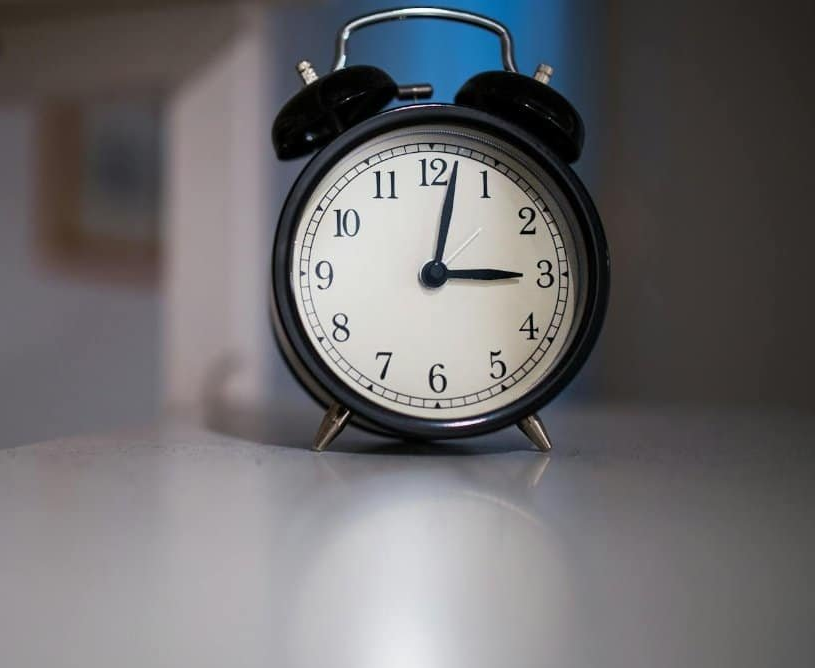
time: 3:02
